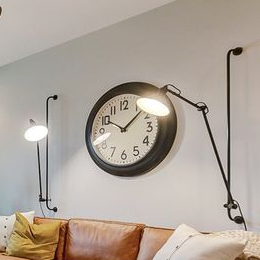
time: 10:07
